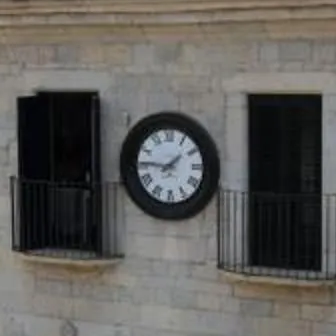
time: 1:46
